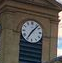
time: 7:07
